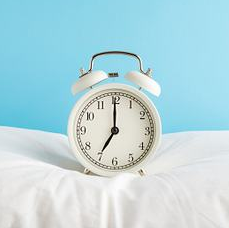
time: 7:00
